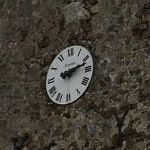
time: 2:12
